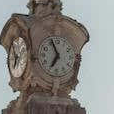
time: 6:56
